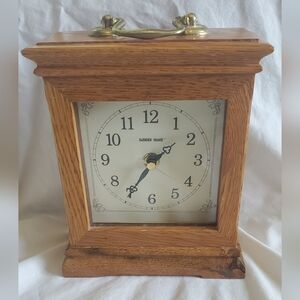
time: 1:36
